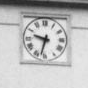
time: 9:32
